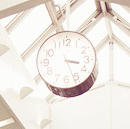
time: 3:26
